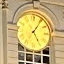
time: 5:05
